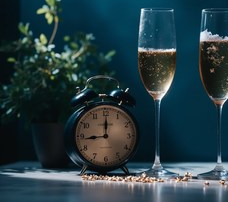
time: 9:00
